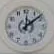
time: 12:08
